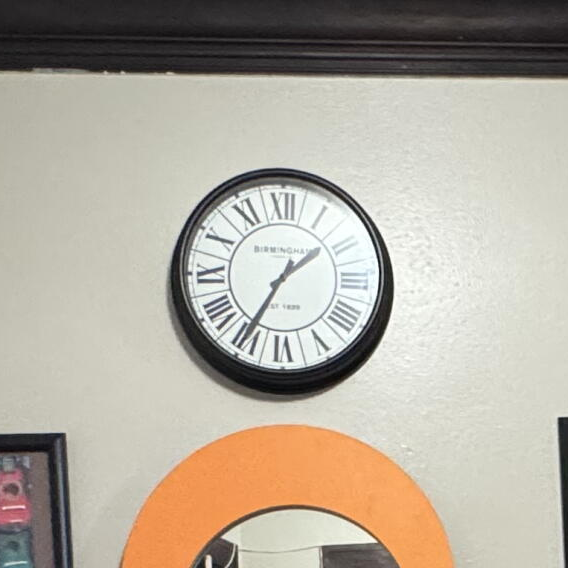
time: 1:35
